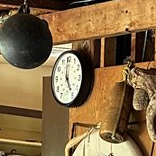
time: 4:59
